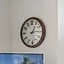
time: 1:14
